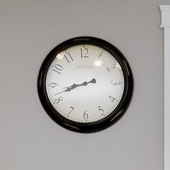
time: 8:42
